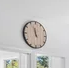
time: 11:56
